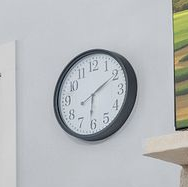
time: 6:10
